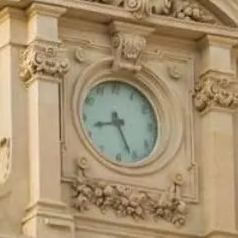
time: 8:26
